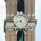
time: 4:42
